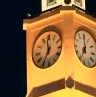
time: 11:35
